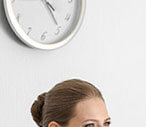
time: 4:24
